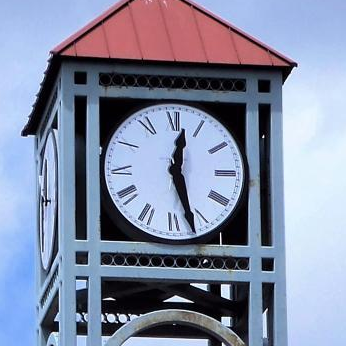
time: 12:27
